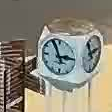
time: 2:56
